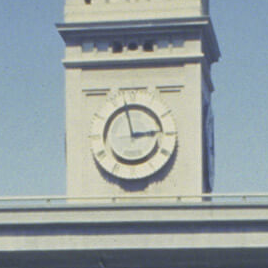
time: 2:58
